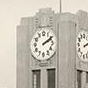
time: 2:09
